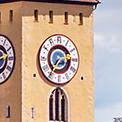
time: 2:36
